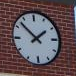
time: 1:52
